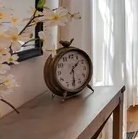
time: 1:29
